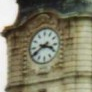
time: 3:40
